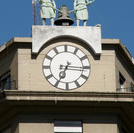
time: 7:15
